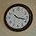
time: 10:17
